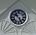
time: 10:25
